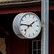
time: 1:46
